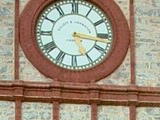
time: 5:16
